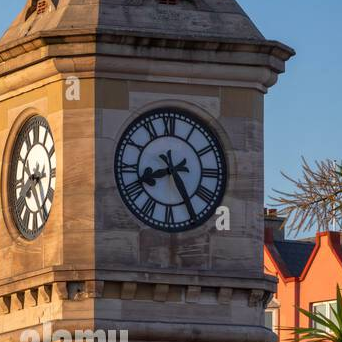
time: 8:25
